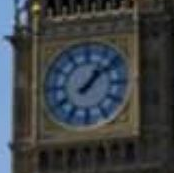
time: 1:08
